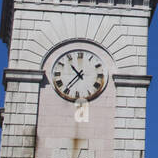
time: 10:36
